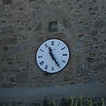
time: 11:24
